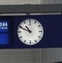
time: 10:49
